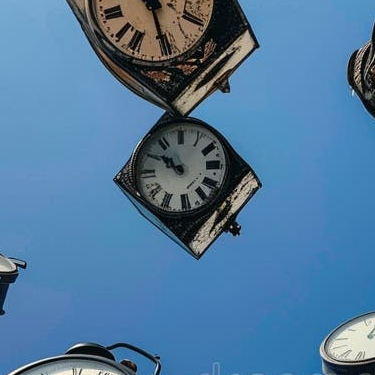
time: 10:50
